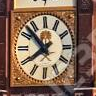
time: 7:52
